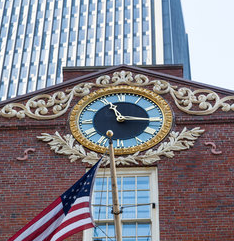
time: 11:15
